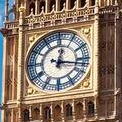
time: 12:16
